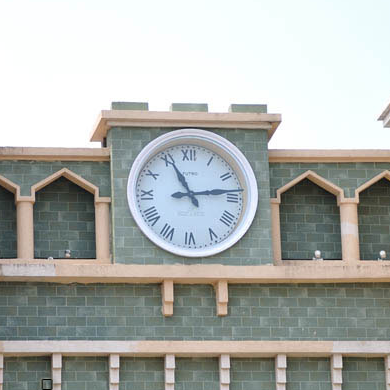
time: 11:13
